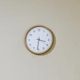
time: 3:31
